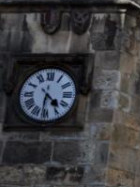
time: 4:31
